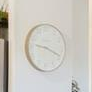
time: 9:18
